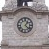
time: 1:22
